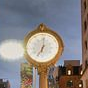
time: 7:01
